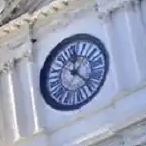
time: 12:22
